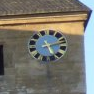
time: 5:12
